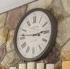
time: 2:46
